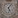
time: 5:06
